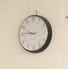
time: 9:45
